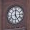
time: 5:00
